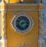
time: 7:12
